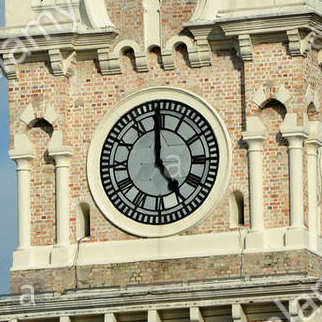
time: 4:59
